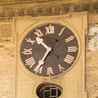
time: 10:35
